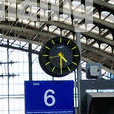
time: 4:30
